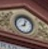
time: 8:03
